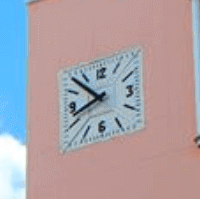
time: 7:52
